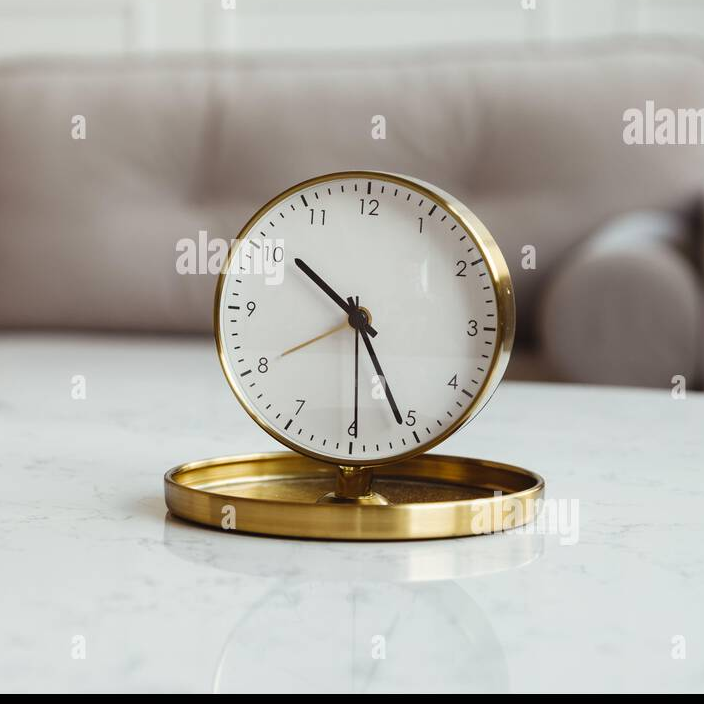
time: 10:25
